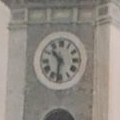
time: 10:31
